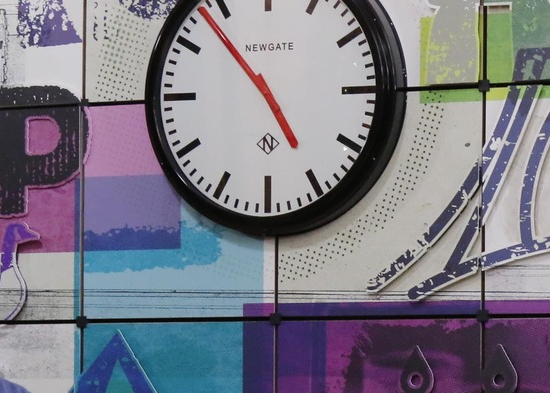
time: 4:52
